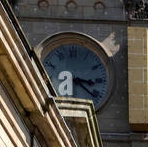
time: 3:21
